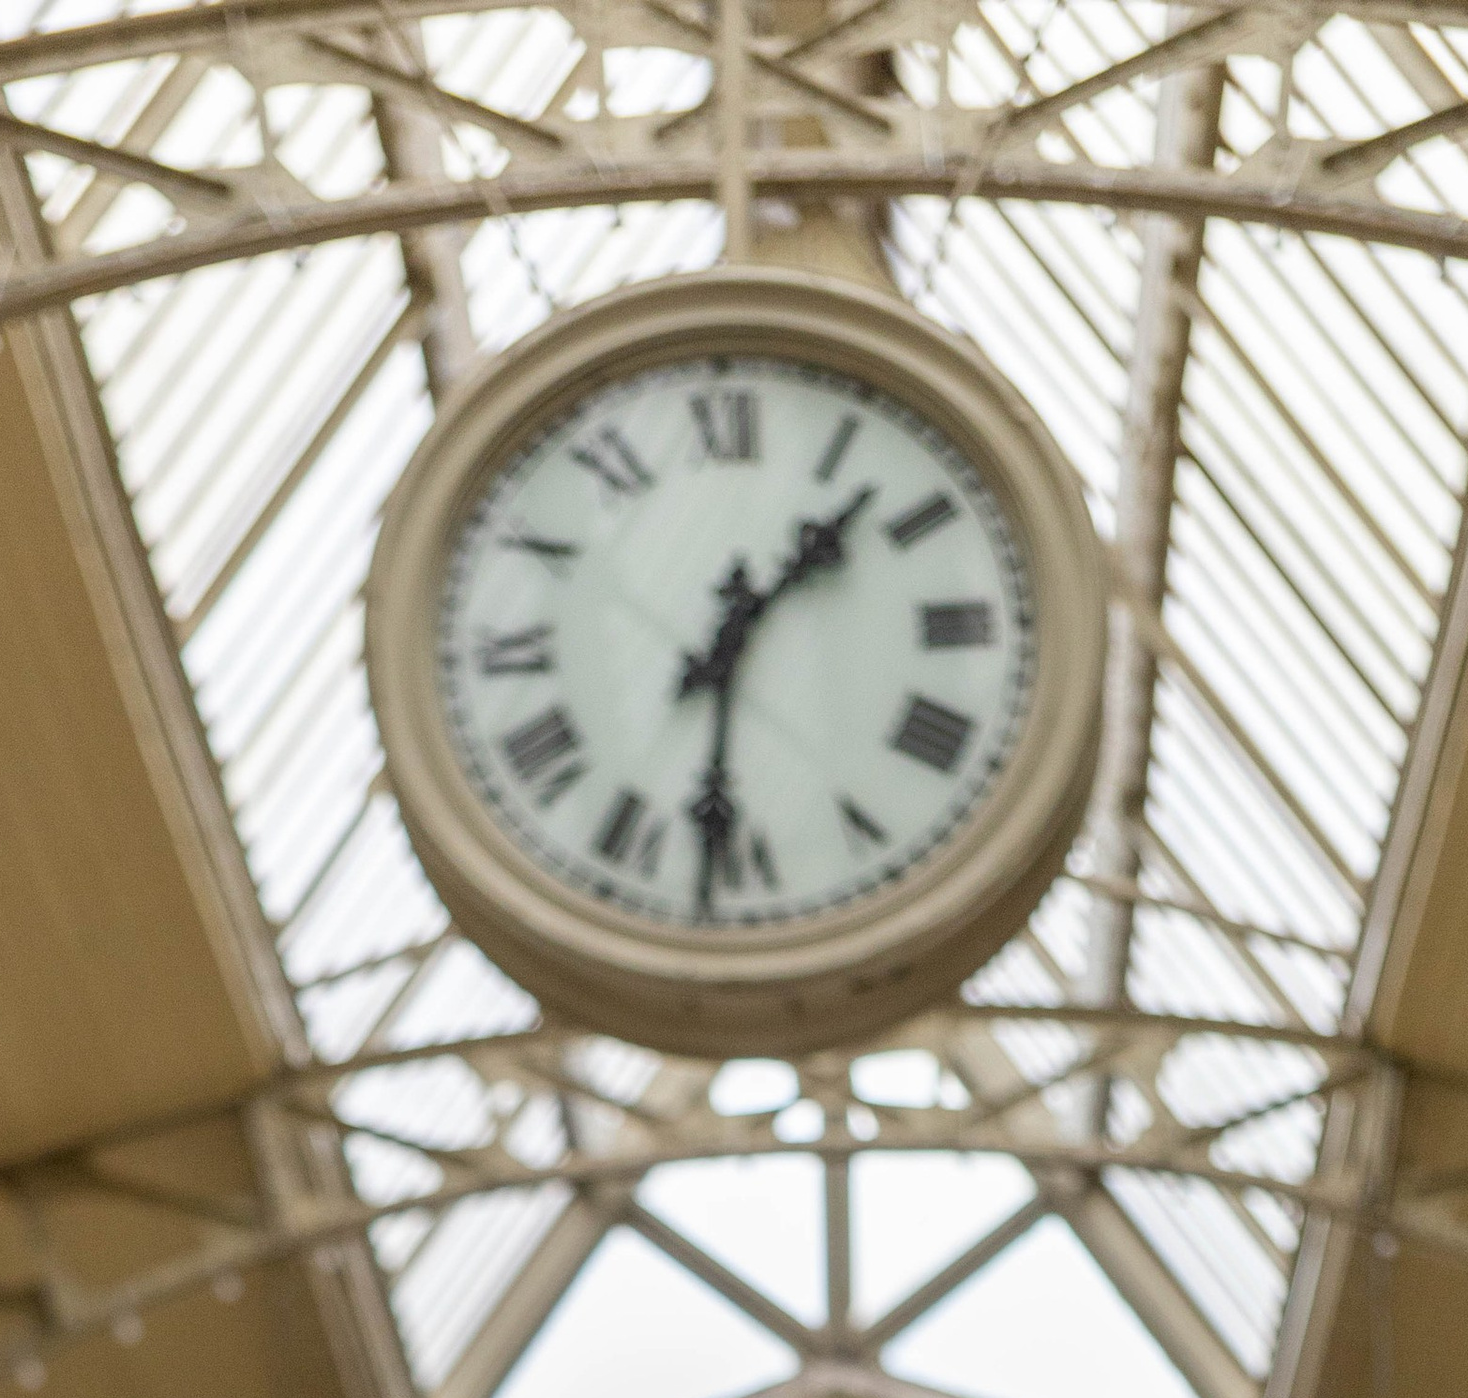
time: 1:31
